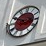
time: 2:48
